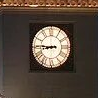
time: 8:45
